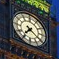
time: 7:20
